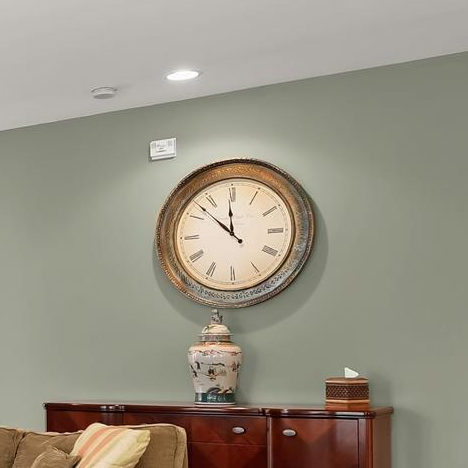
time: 11:52
